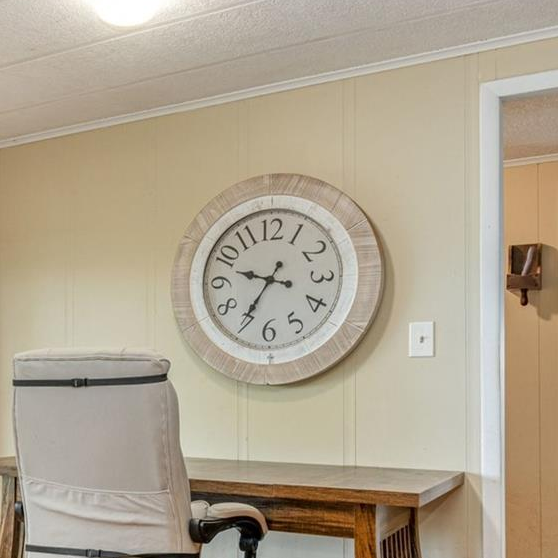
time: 9:35
